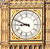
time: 8:48
